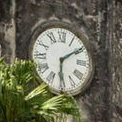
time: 6:09
